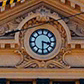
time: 3:30
